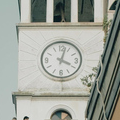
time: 4:02
